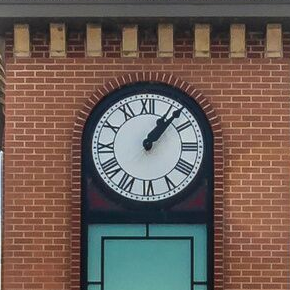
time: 1:07
